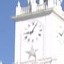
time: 9:05
